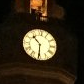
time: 10:30
